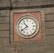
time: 10:39
